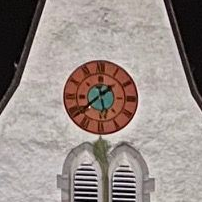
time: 5:38
